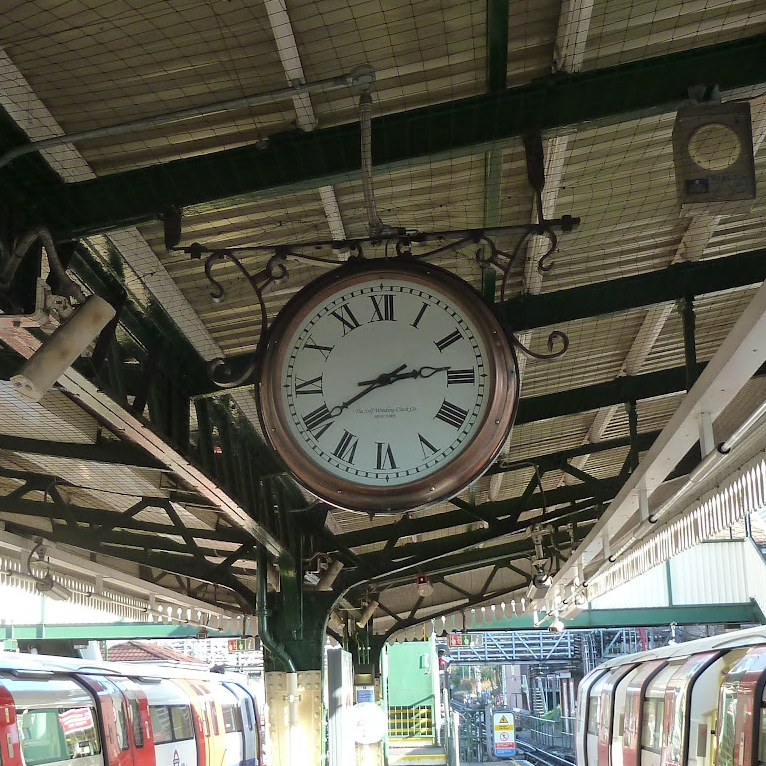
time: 2:40
